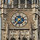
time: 4:36
